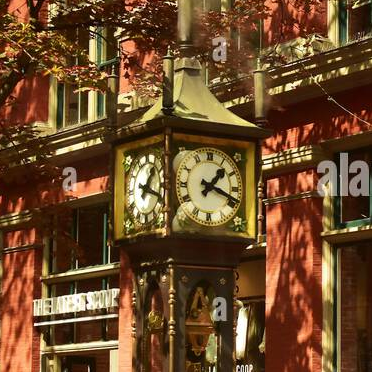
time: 1:18
